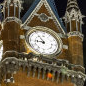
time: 8:54
